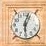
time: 6:03
